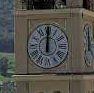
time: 12:00
